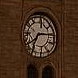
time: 7:15
